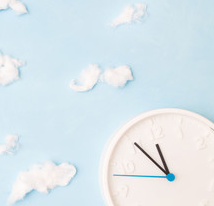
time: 11:54
